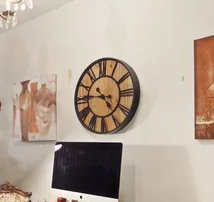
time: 4:45
